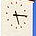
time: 5:14
